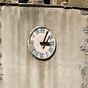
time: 3:04
